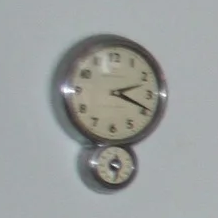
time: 2:19
